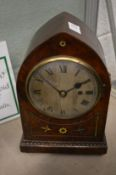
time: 1:51
